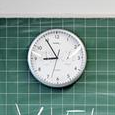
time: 8:54
